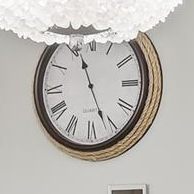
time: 11:26
